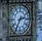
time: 2:35
